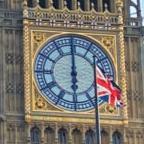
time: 5:59
